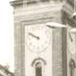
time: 9:50
